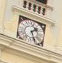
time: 1:26
